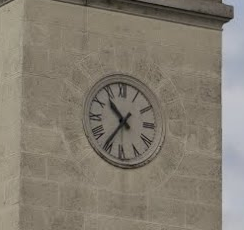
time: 10:35
